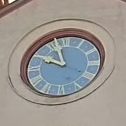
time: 9:56
